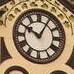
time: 10:05
